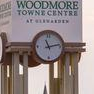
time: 11:12
